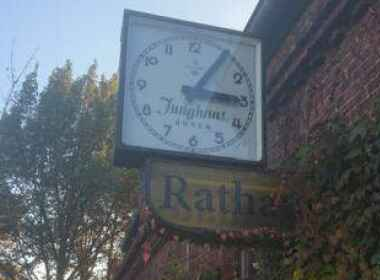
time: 3:05
